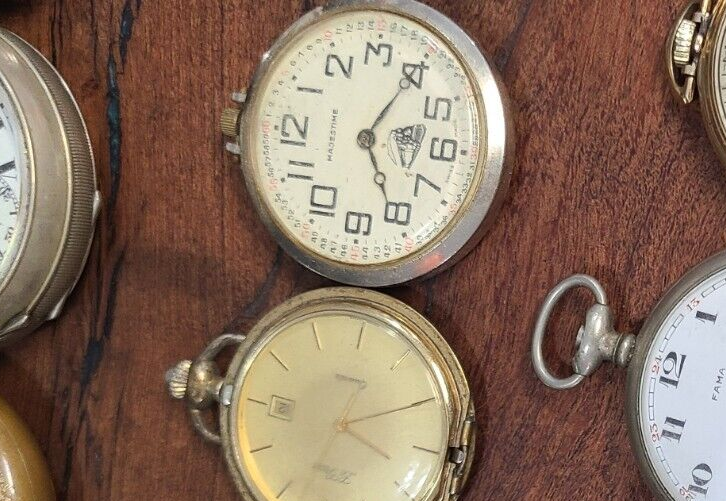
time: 5:05
